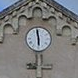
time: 5:58
